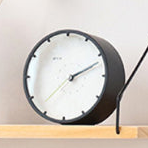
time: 2:11
